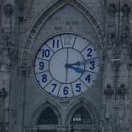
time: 3:13
